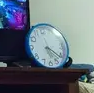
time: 5:21
